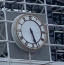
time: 5:26
